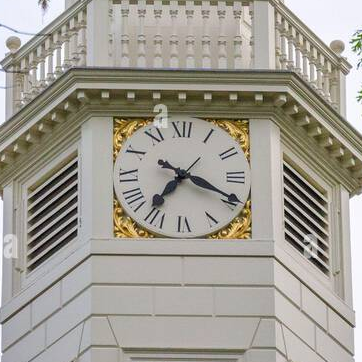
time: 7:19
